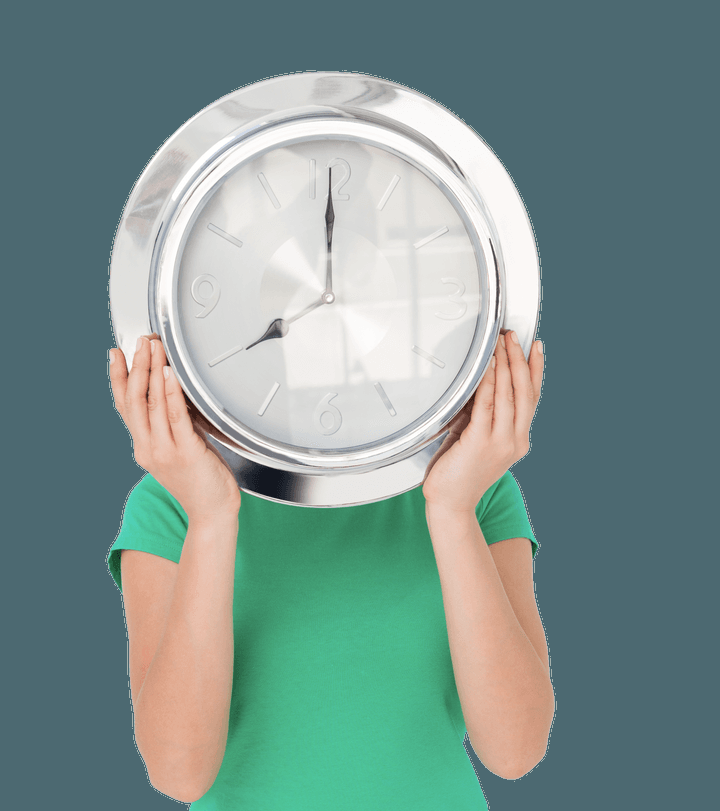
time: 7:59
